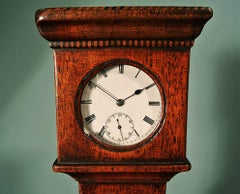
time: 1:50
